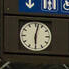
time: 6:02
